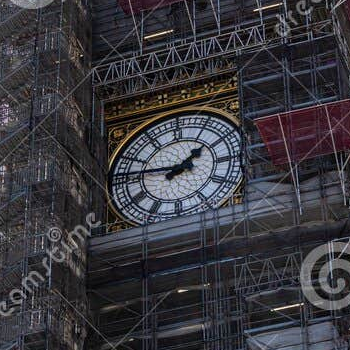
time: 1:46
